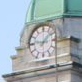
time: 9:07
